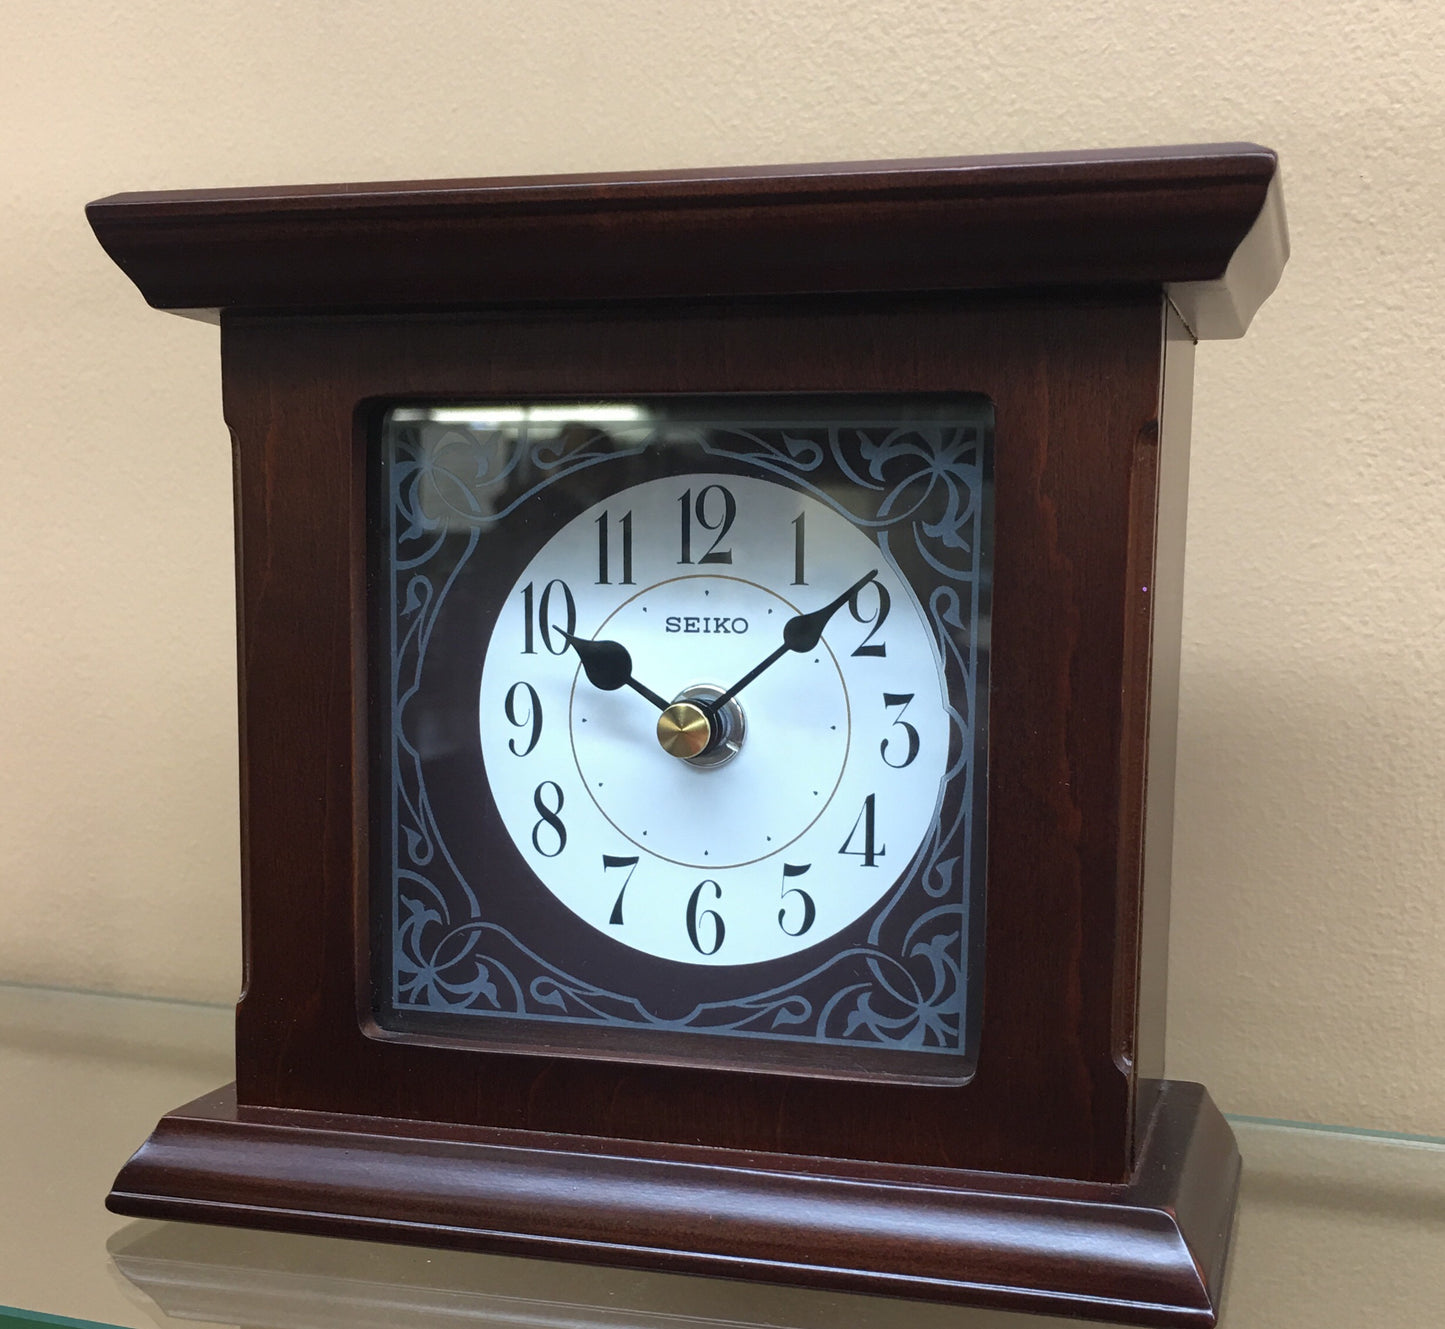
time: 10:08
